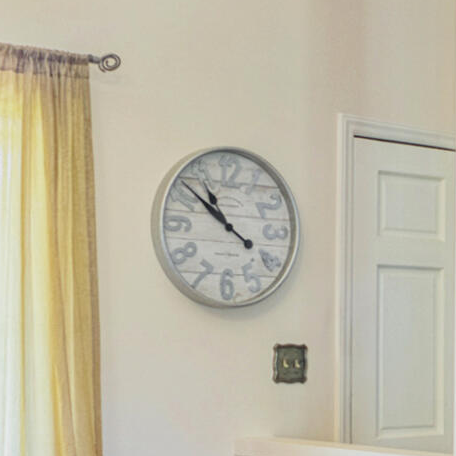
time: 10:51
